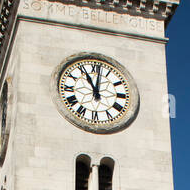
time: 11:01
